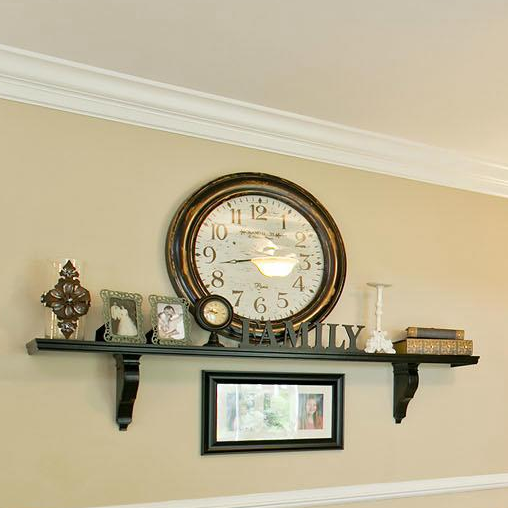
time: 4:42
